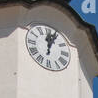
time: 12:03
